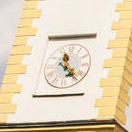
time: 11:22
